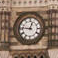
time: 12:46
